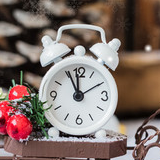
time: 11:55
